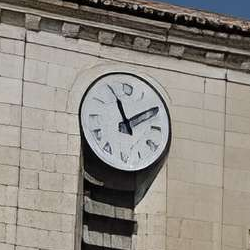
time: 11:09
